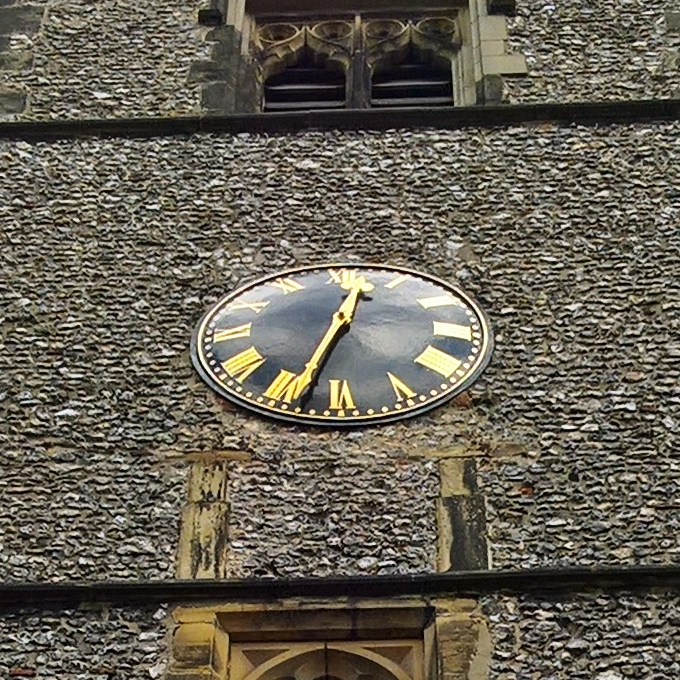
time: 12:32
